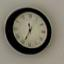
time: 11:34
